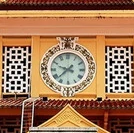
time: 9:38
